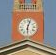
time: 6:03
